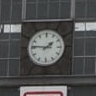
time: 1:46
